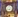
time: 4:42
